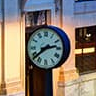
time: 2:38
